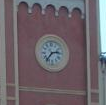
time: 2:36
